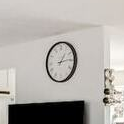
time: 1:13
